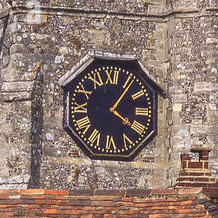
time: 4:06
